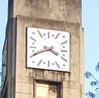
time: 3:40
